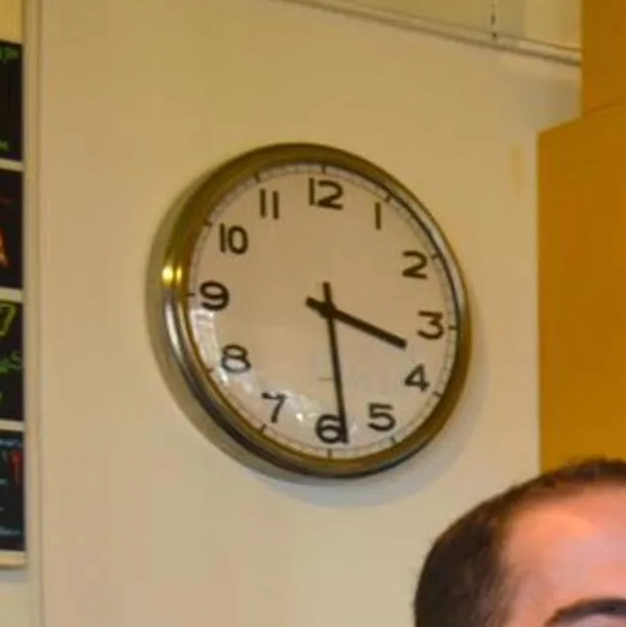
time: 3:28
